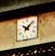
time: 10:07
